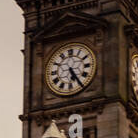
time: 5:24
